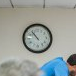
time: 10:53
